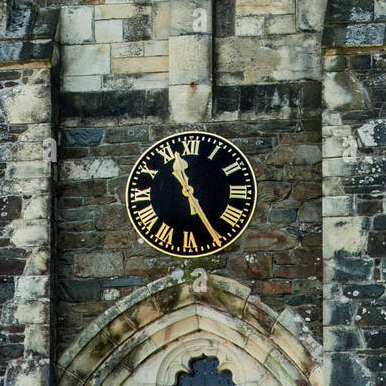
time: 11:25
